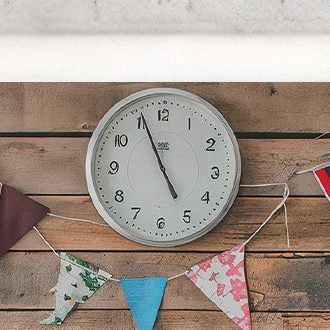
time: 4:55
